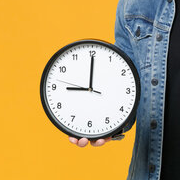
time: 8:59
